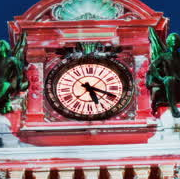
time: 5:18
